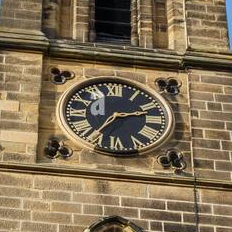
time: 2:36
